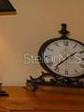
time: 1:36
